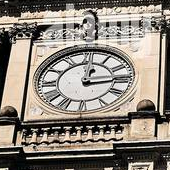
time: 12:14
